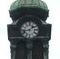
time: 1:42
